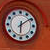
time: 6:09
